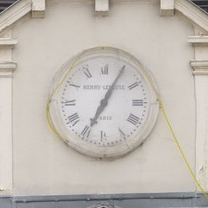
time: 7:04
